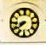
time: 8:38
